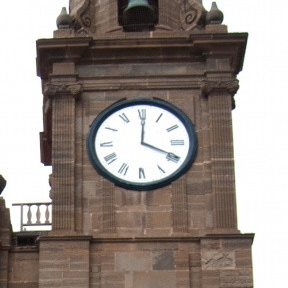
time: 4:00
